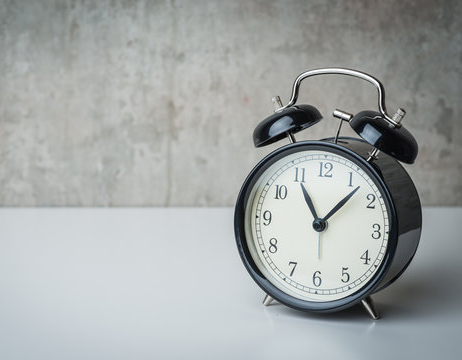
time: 11:07
